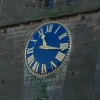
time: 11:16
